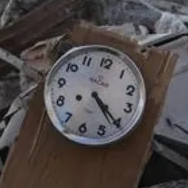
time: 4:20
